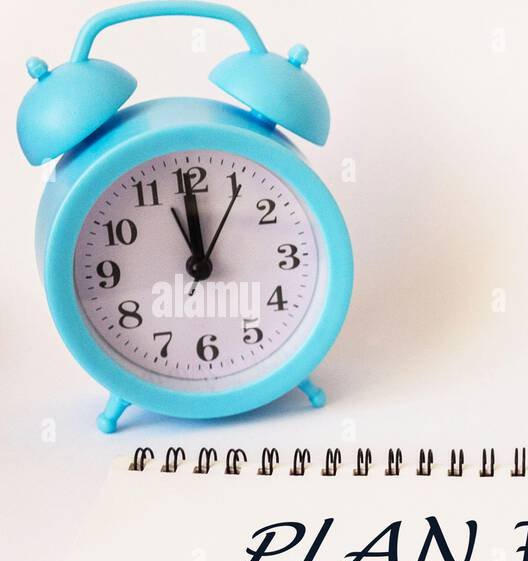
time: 11:59
